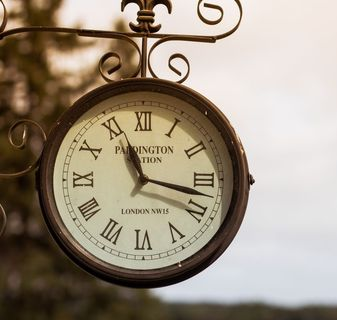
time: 11:17
